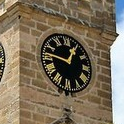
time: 12:46
